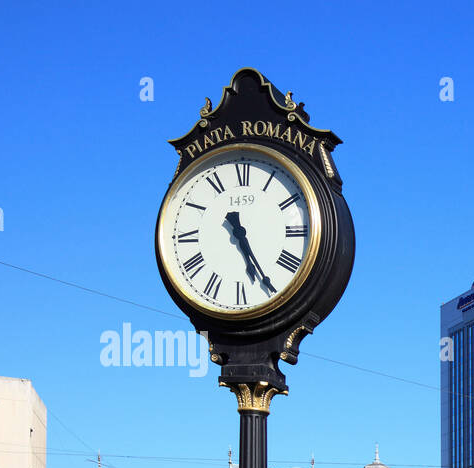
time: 5:24
